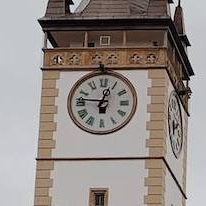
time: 12:46
